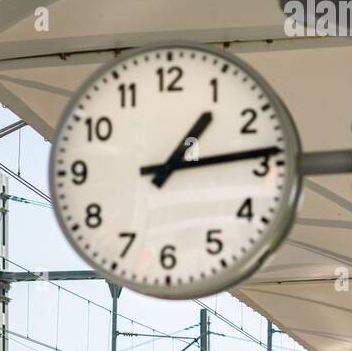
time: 1:13
